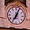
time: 7:04
